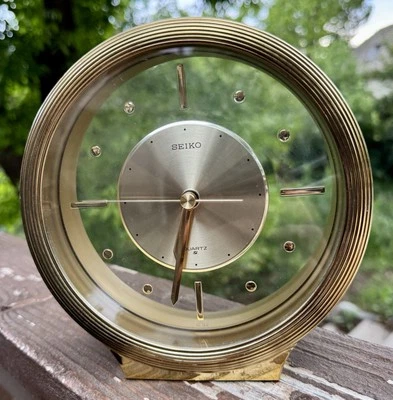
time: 2:32
